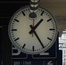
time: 1:24
